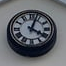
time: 4:03
